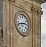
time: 2:42
